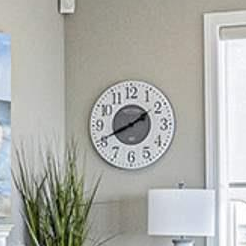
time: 1:41
